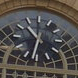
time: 10:32
